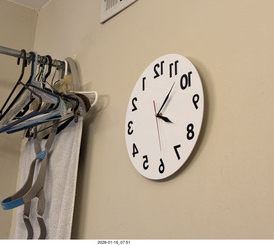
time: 4:07
